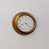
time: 8:21
